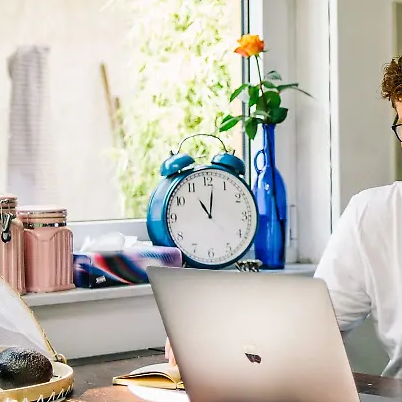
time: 11:01
